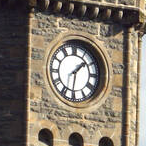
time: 1:31
